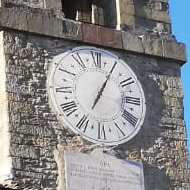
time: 7:04
